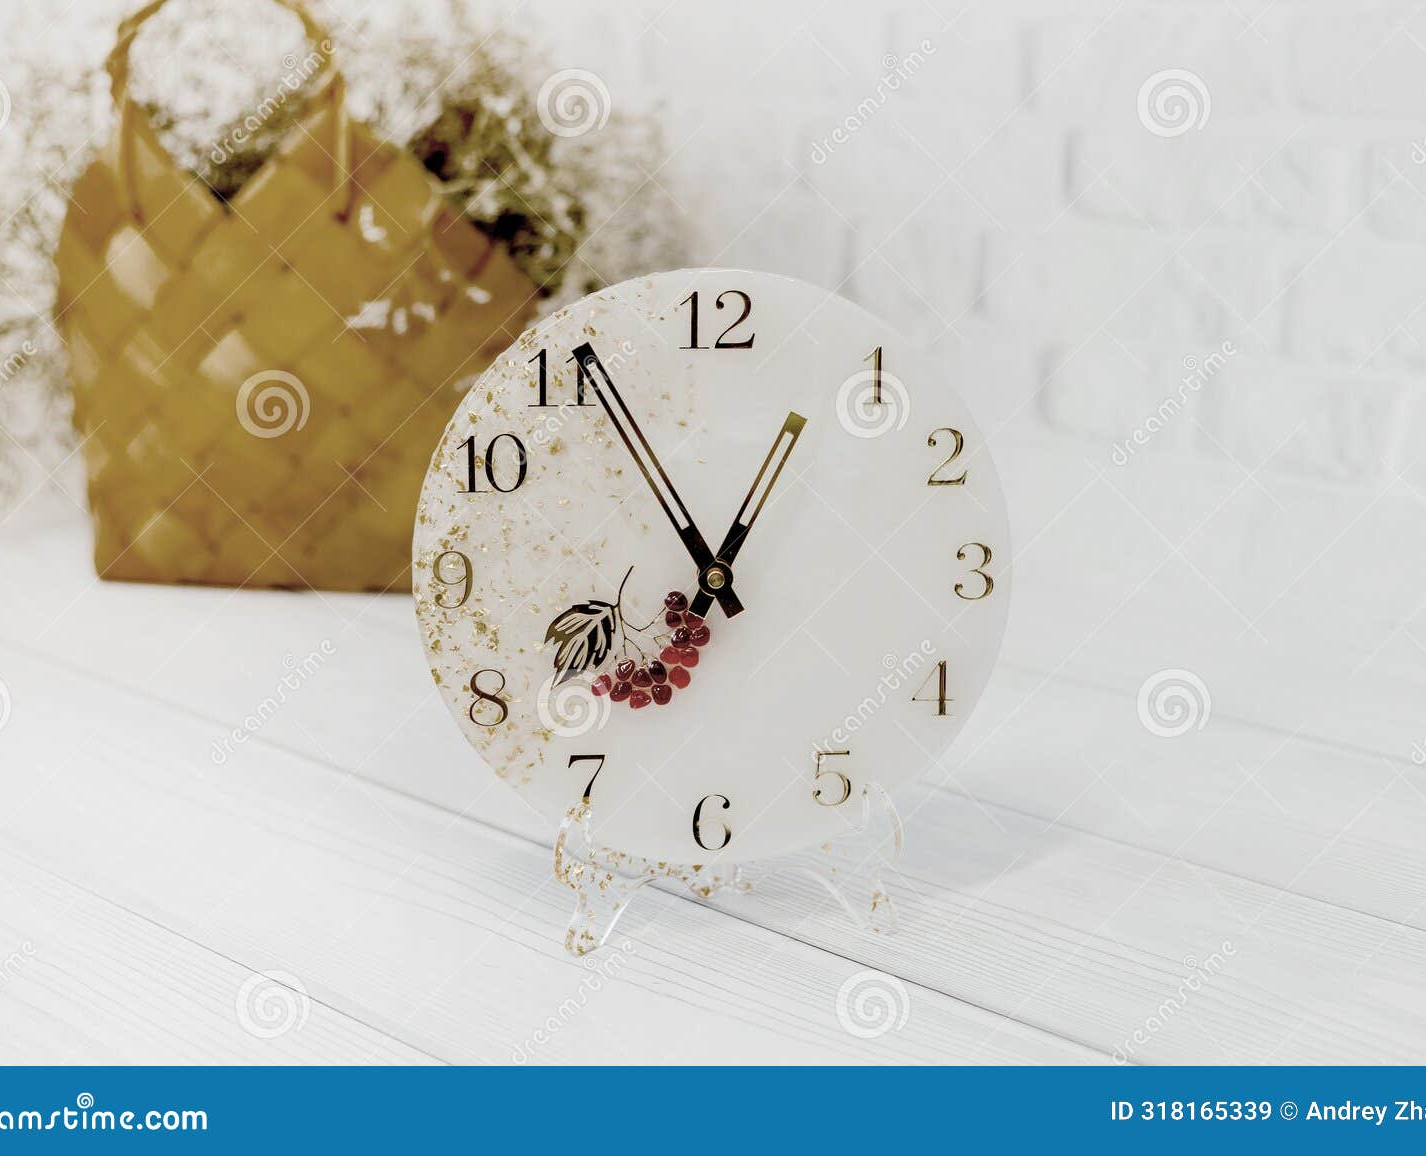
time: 6:55
